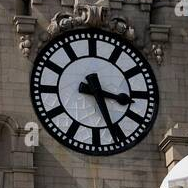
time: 3:26
